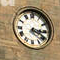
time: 3:19
